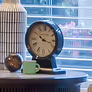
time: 10:17
